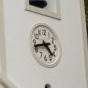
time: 4:42
